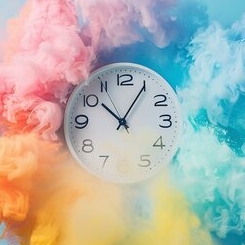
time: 10:05
